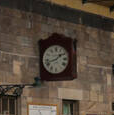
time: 1:41
